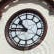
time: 10:45
